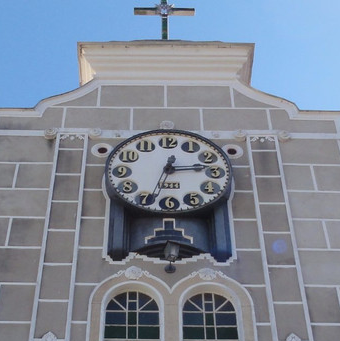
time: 2:33
